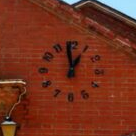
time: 12:58
